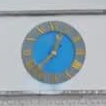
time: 12:37
